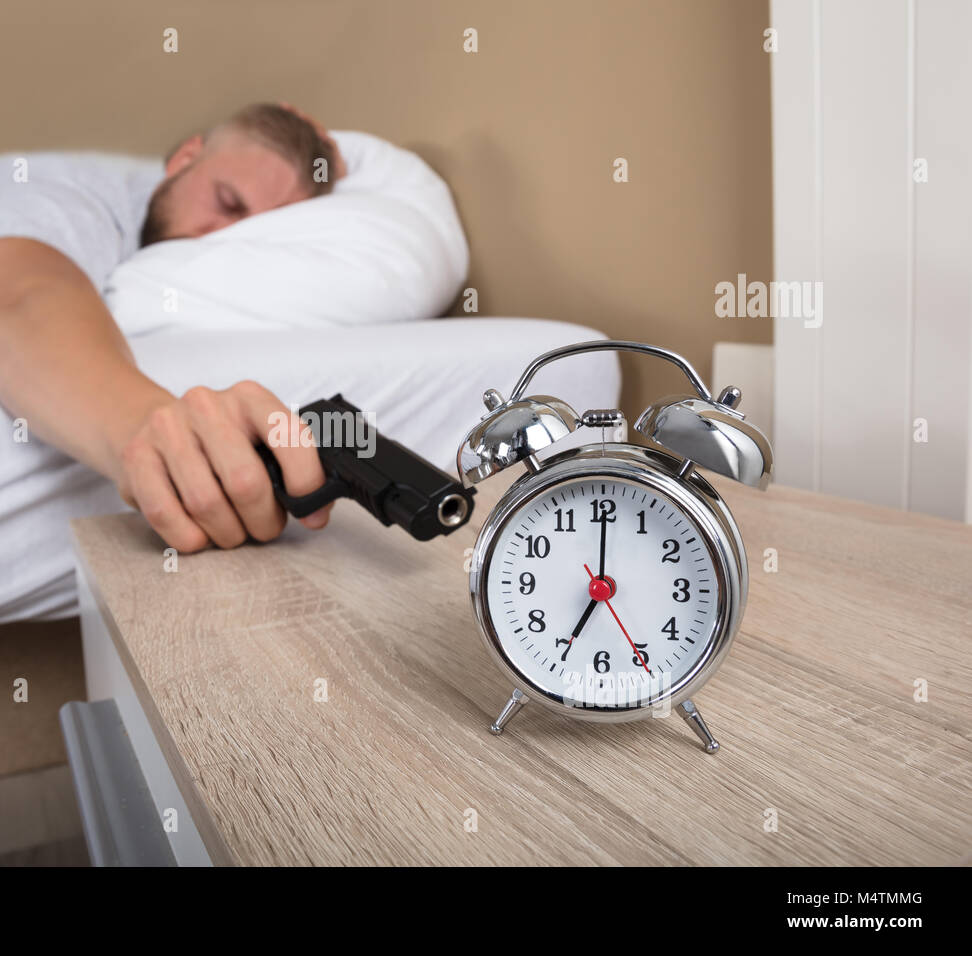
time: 7:00
